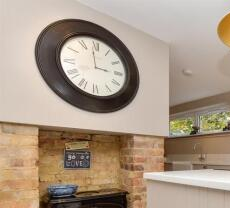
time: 2:58
